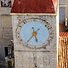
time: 5:36
